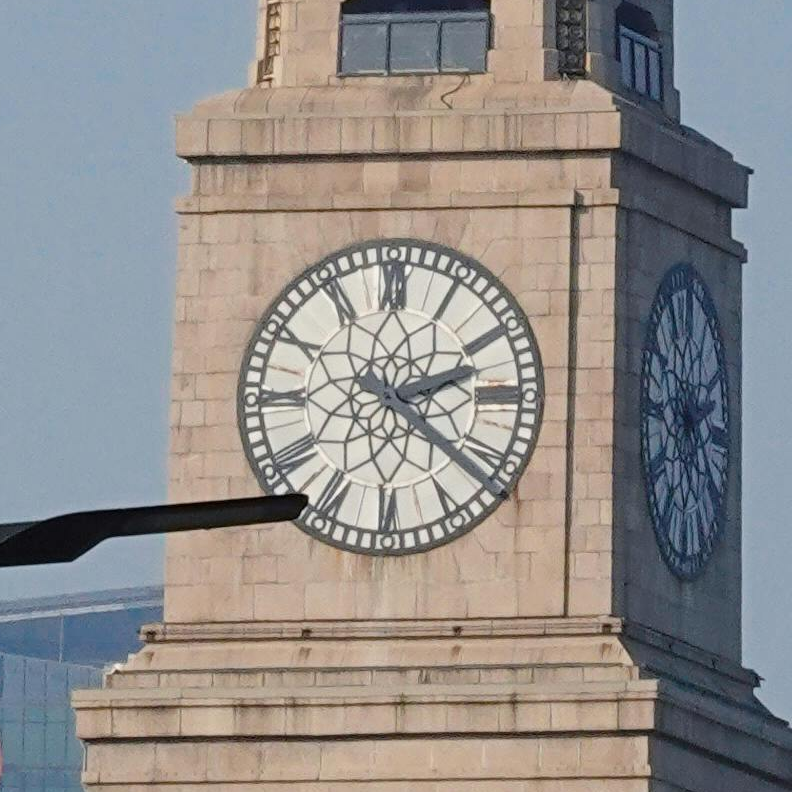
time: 2:21
